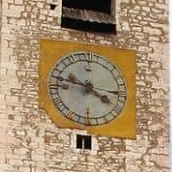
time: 3:47
